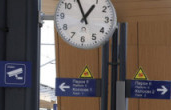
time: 12:55
